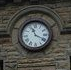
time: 11:19
